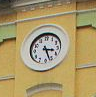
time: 3:26
